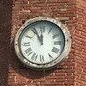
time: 11:55
